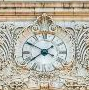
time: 7:50
